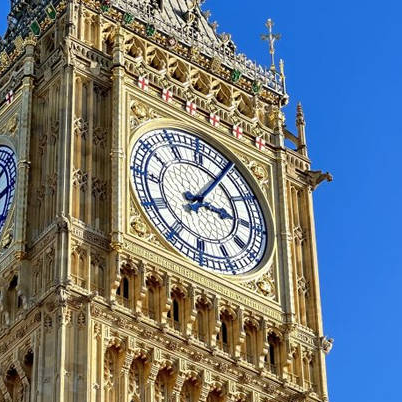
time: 3:05
